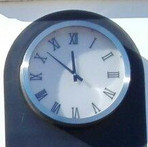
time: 11:52
